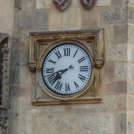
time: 7:42
